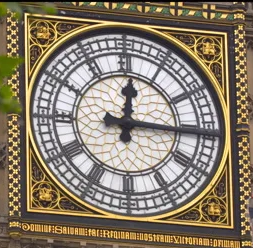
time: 12:15
